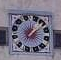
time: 12:07
